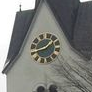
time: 1:41
